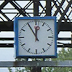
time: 11:54
